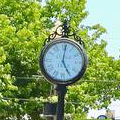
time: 5:01
